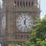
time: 12:26
